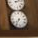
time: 7:36
